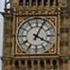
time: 4:04
